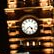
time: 4:38
